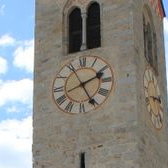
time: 2:25
